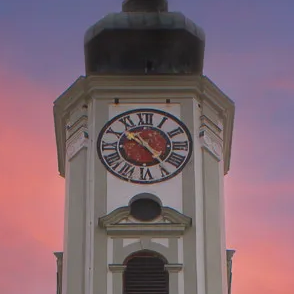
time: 10:23
